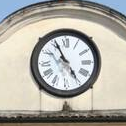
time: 4:55
